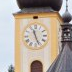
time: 11:26
